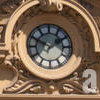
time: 1:49
